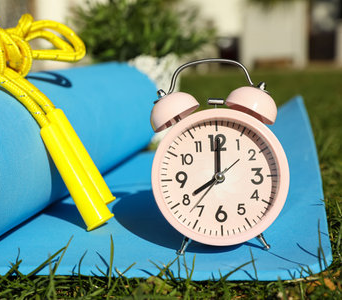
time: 8:00
